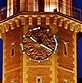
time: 10:19
